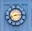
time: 8:14
